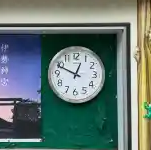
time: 12:49
